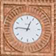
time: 12:46
